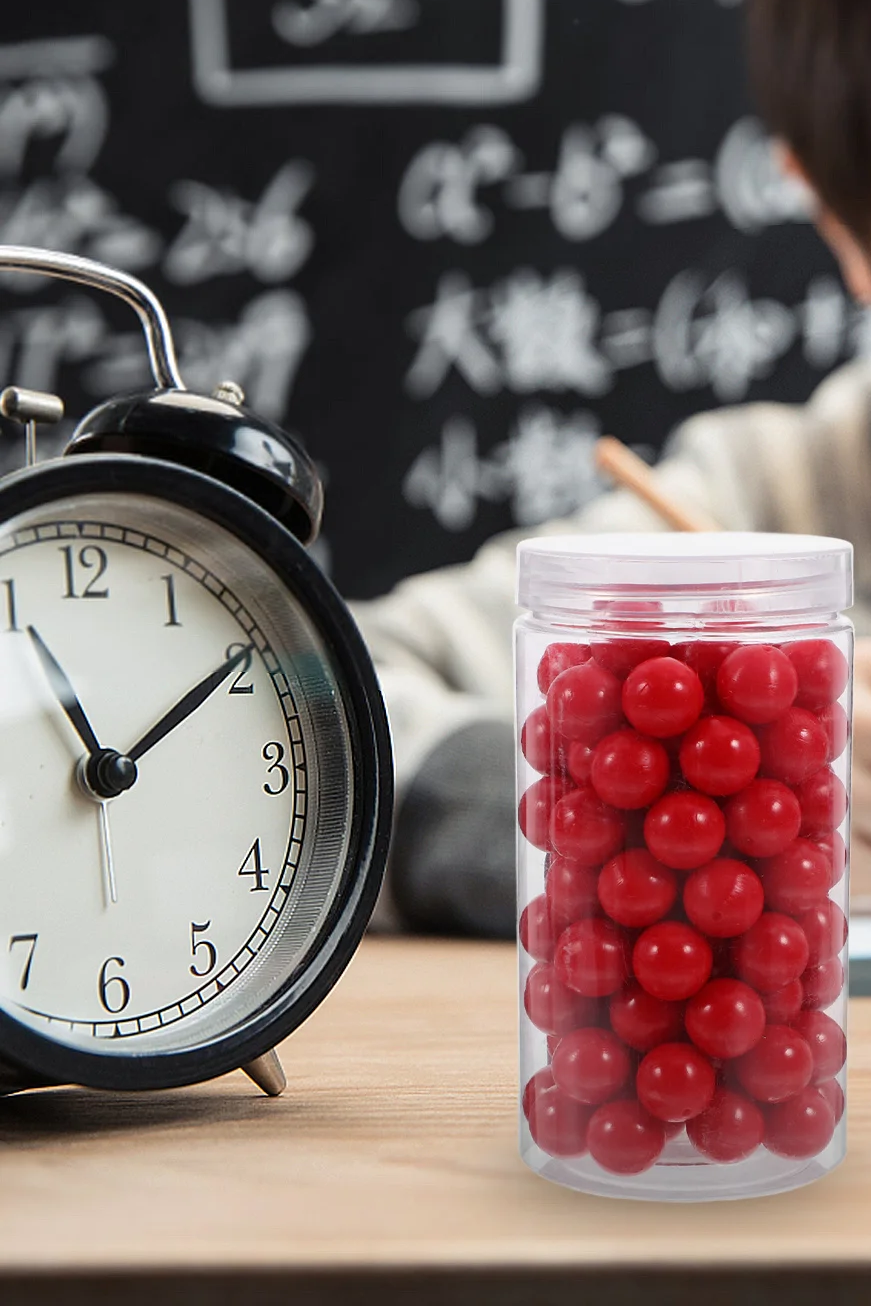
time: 11:09
